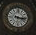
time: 3:16
